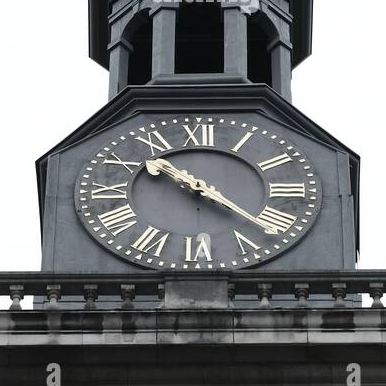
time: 10:21
